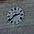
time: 2:38
